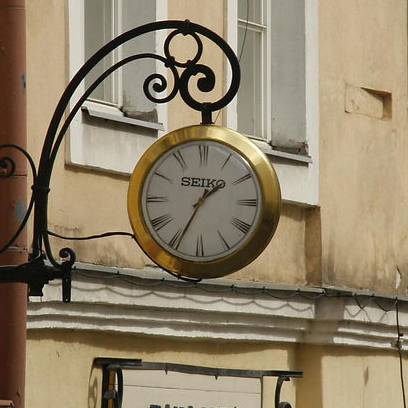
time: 1:34
